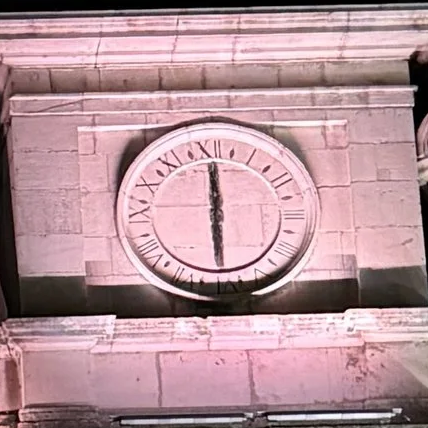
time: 6:00
